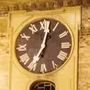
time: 7:02
